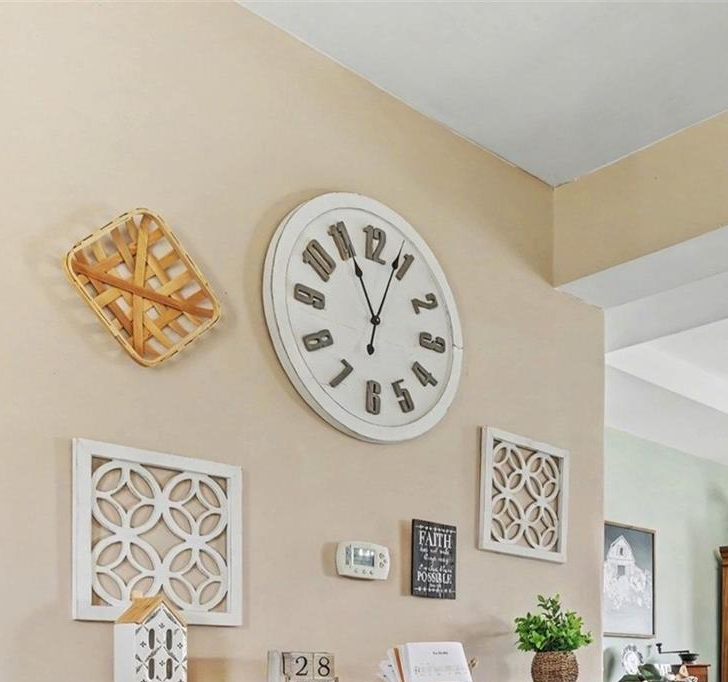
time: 11:03
